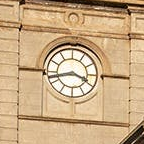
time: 3:42
